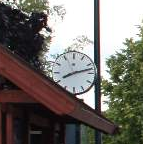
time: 8:12
